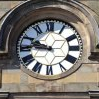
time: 9:45
